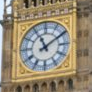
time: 11:09
